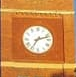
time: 7:12
